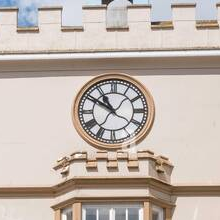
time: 10:50
